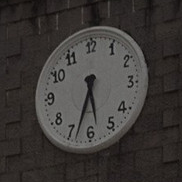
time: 5:33
